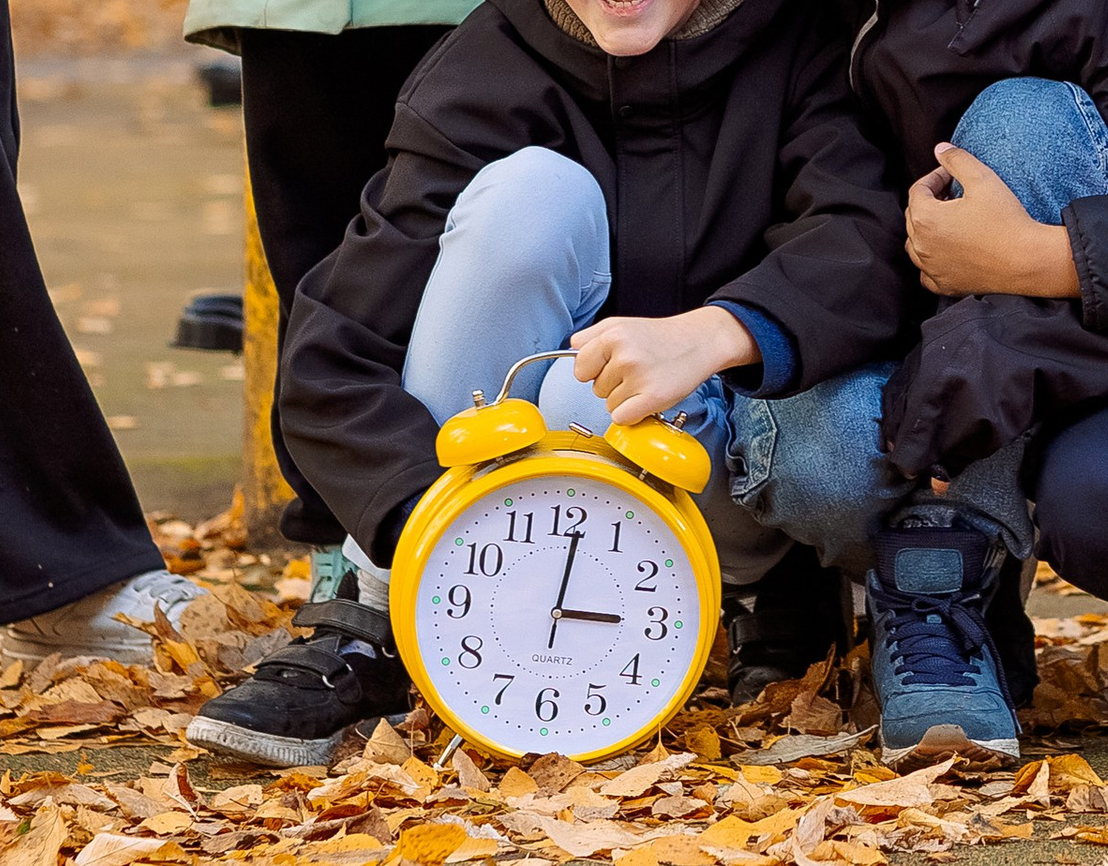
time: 3:01
